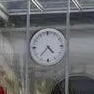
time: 4:37
